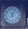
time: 6:04
